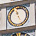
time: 11:25
